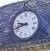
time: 9:42
